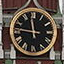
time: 11:46
